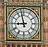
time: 8:57
